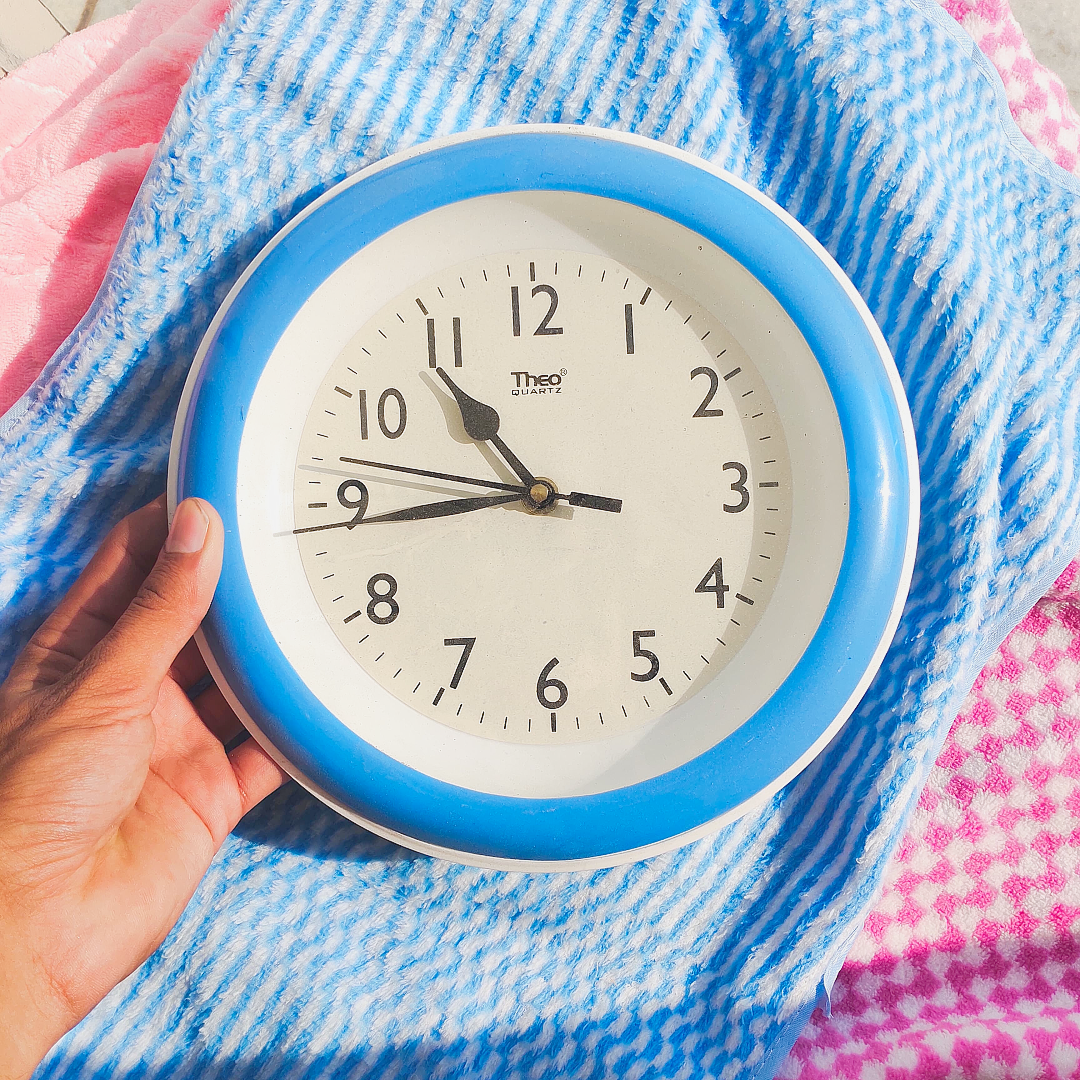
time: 10:43
